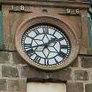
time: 1:42
